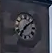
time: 7:09
